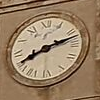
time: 8:12
